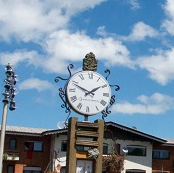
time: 1:49
